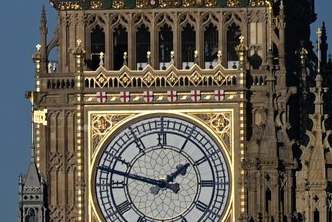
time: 1:47
